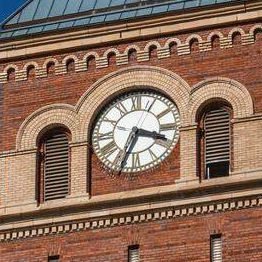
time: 3:34
